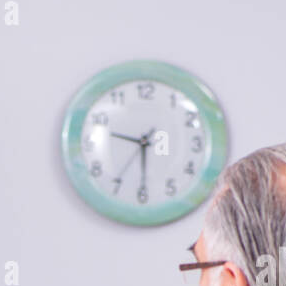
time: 9:29
